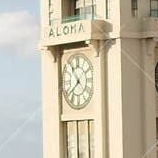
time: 10:38
